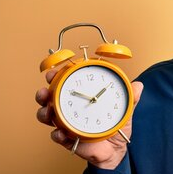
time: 1:49
